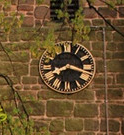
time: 8:17
